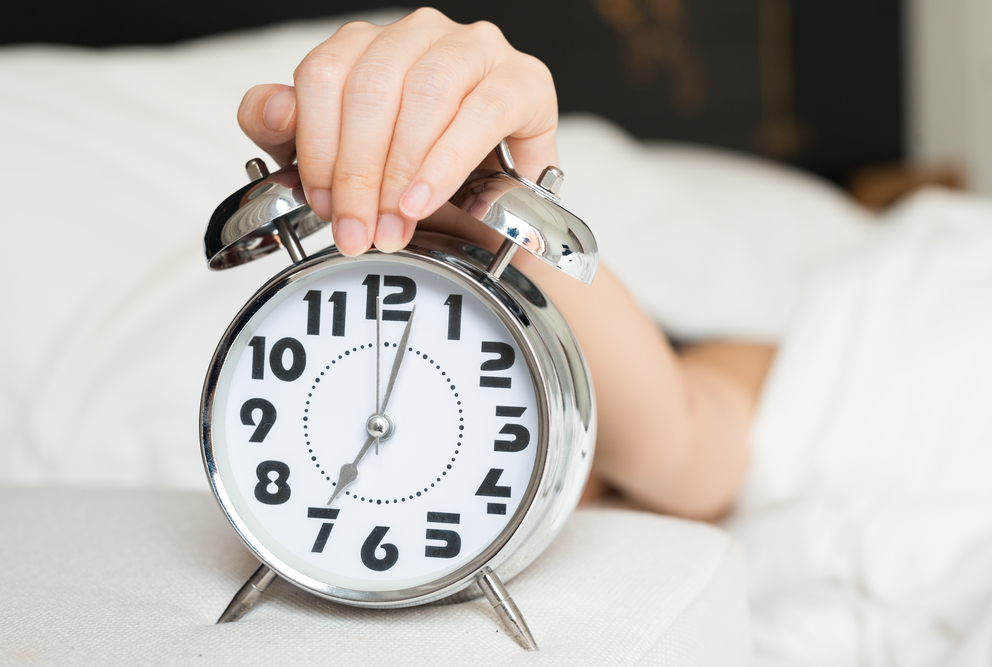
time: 7:02
